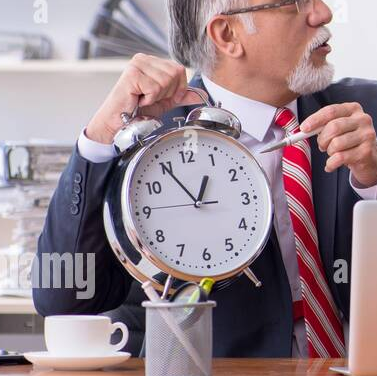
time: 12:54
